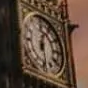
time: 12:28
